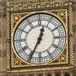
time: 12:34
